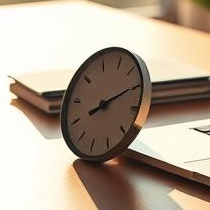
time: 8:14
